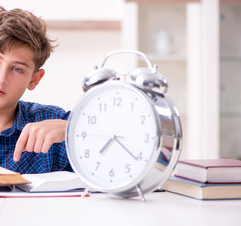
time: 7:21
